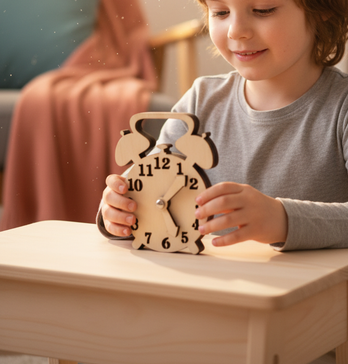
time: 5:08
